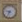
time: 9:34
